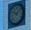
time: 10:07
